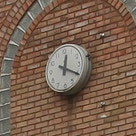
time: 12:20
